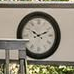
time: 10:11
